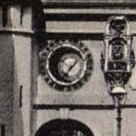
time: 7:07
